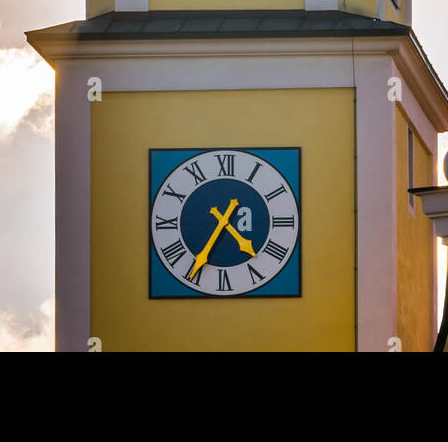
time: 4:35
